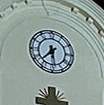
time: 7:28
